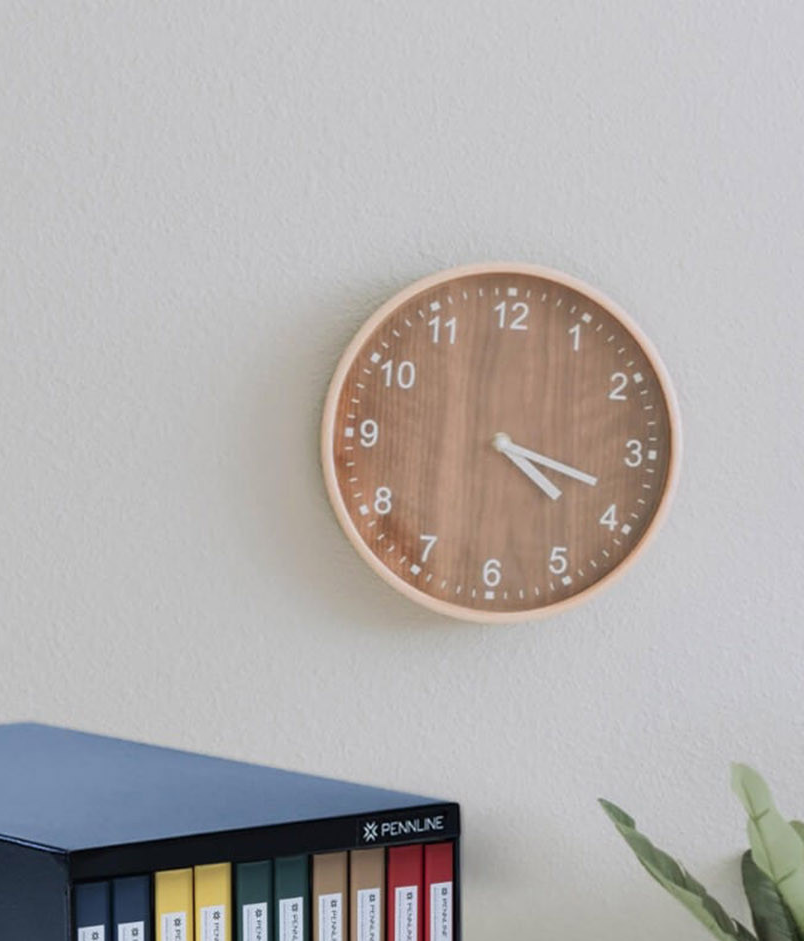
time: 4:18
